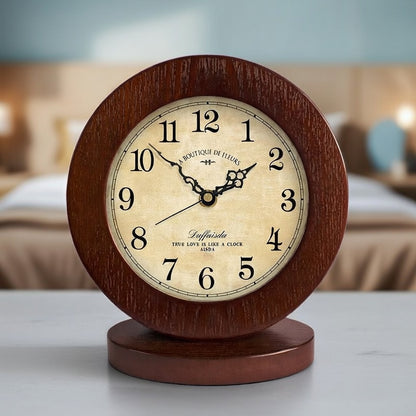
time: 1:52
